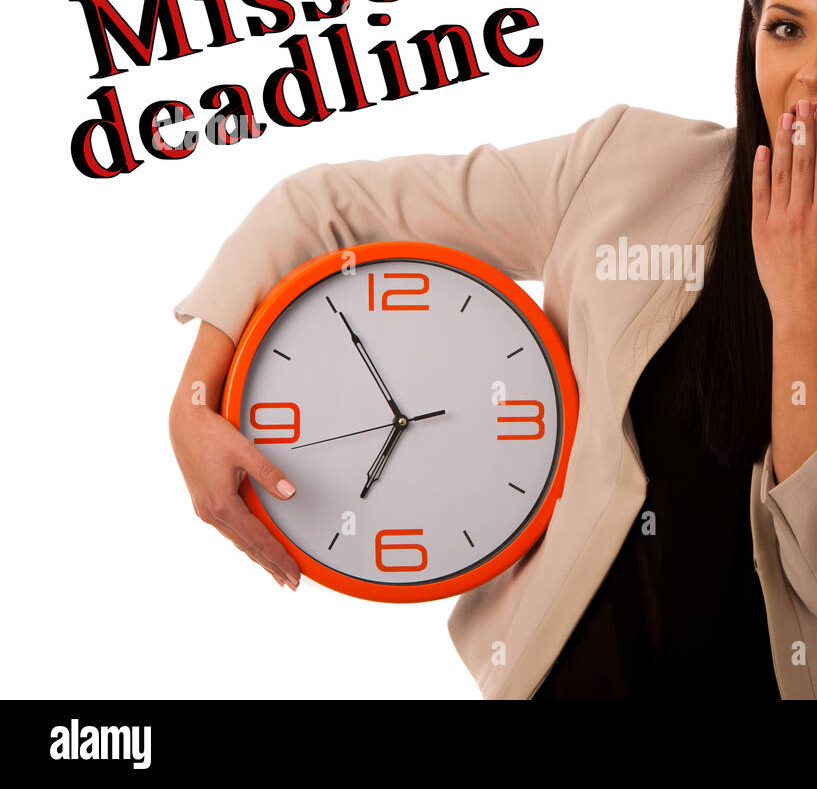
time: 6:55
